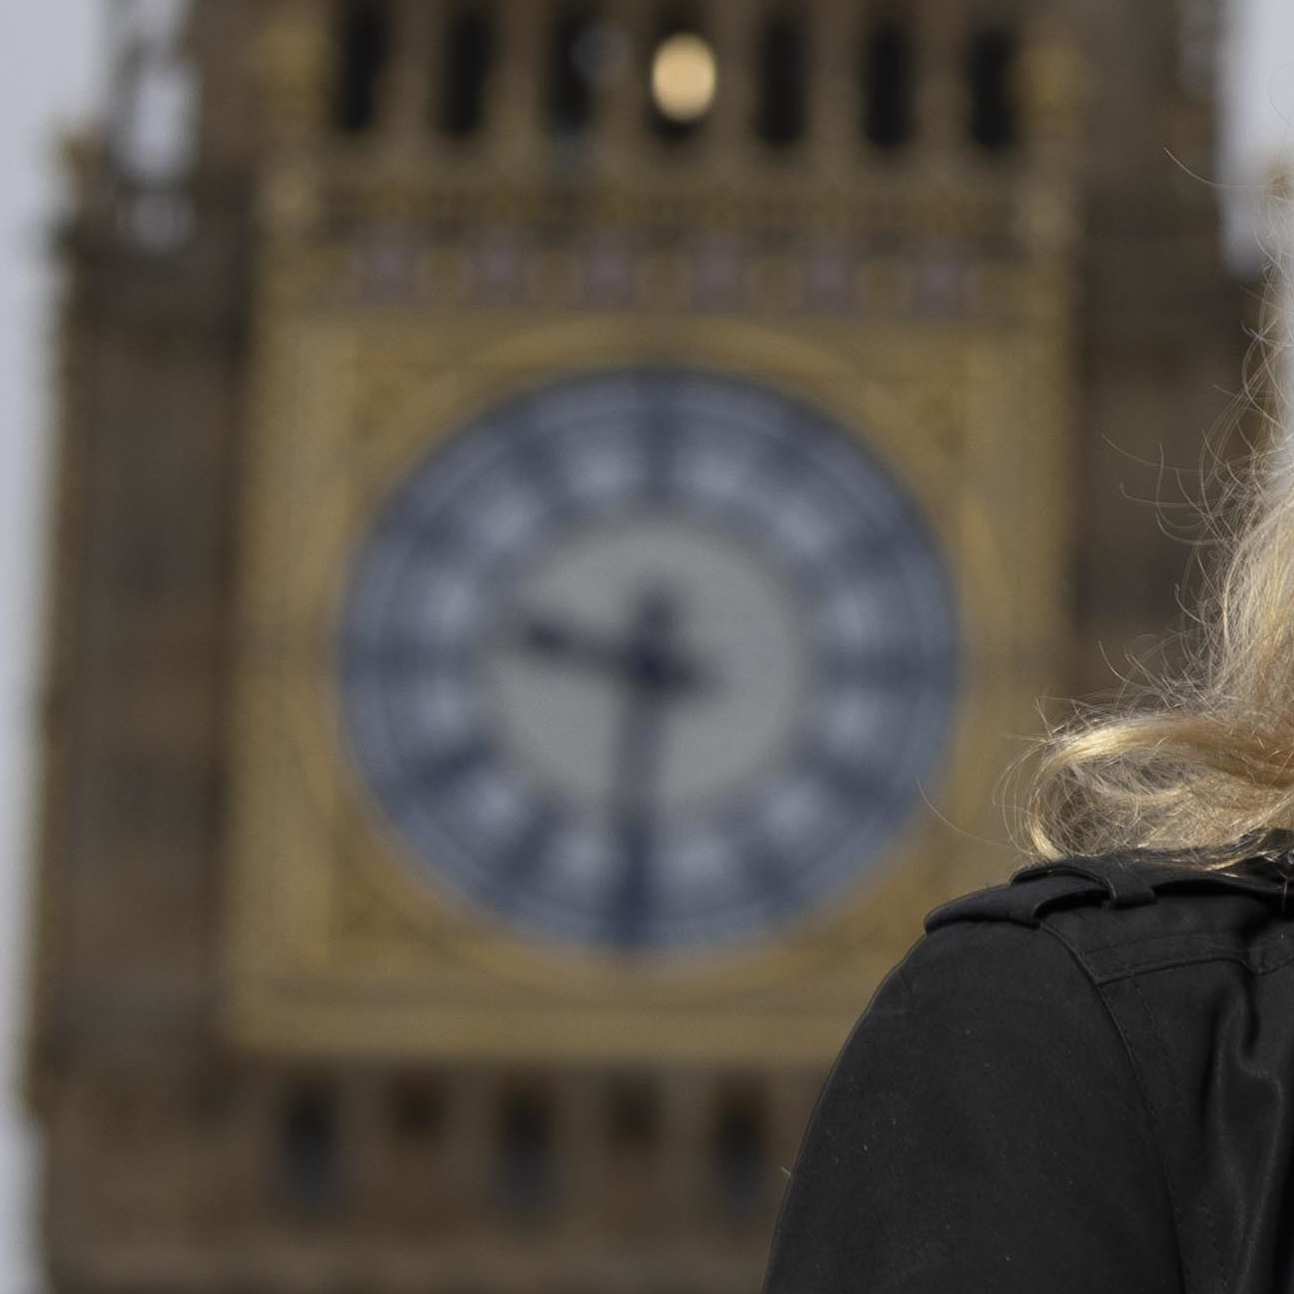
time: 9:31
